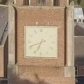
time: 6:41
